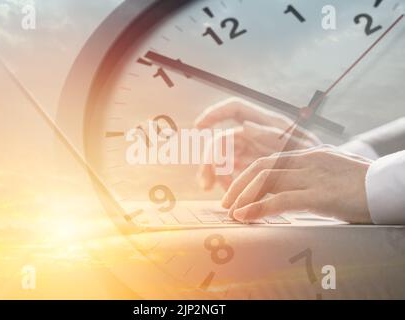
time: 6:50
